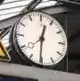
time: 12:30
